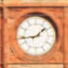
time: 1:43
